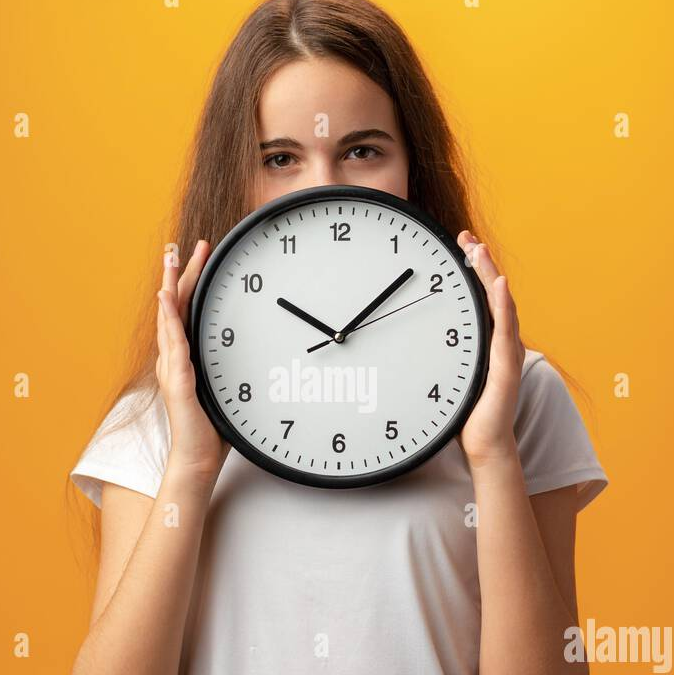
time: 10:07
